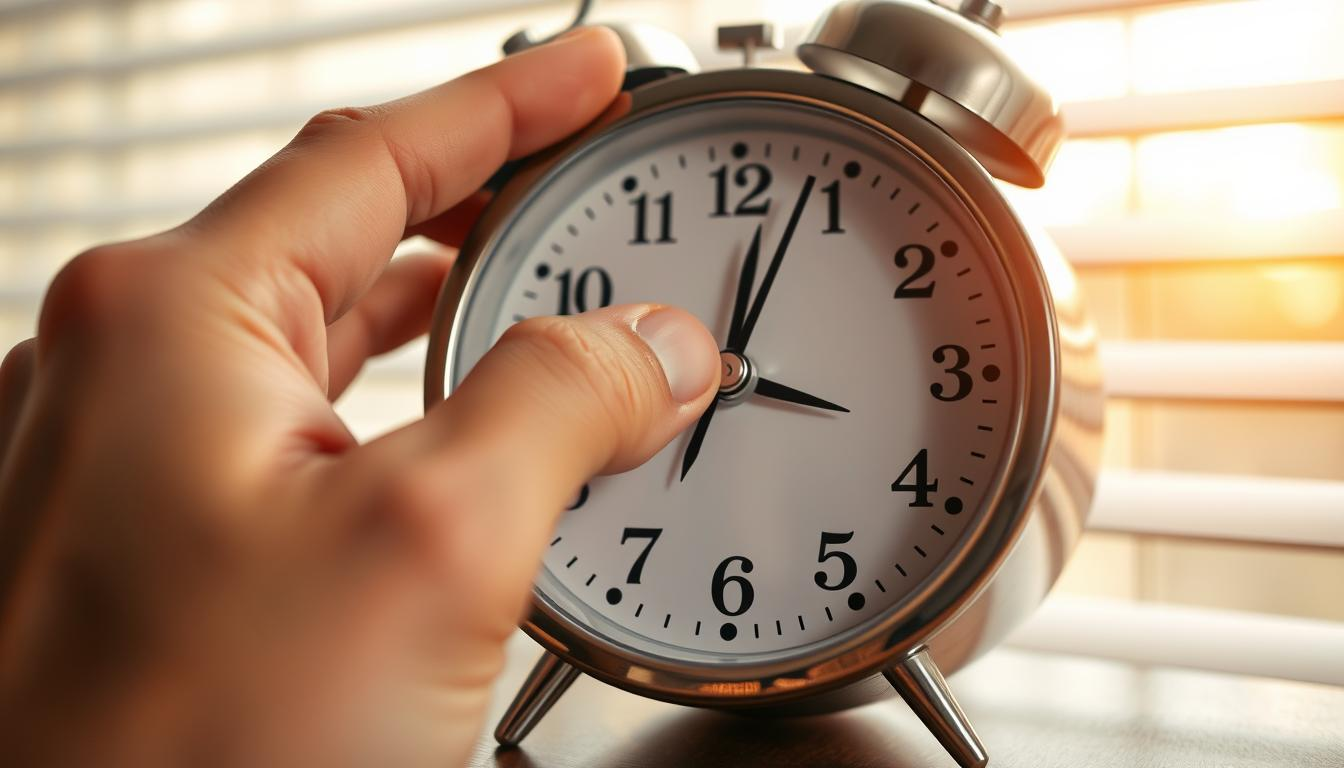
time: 12:03
